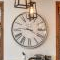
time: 9:20
